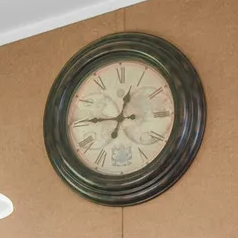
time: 12:45
